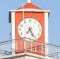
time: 7:25
